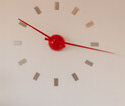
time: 10:16
